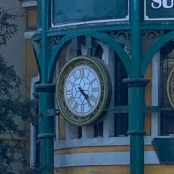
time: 4:22
